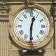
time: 12:30
